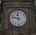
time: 11:47
